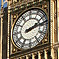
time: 2:13
